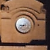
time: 8:38
